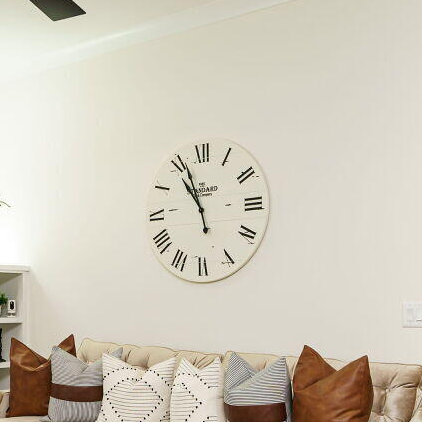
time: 10:56
